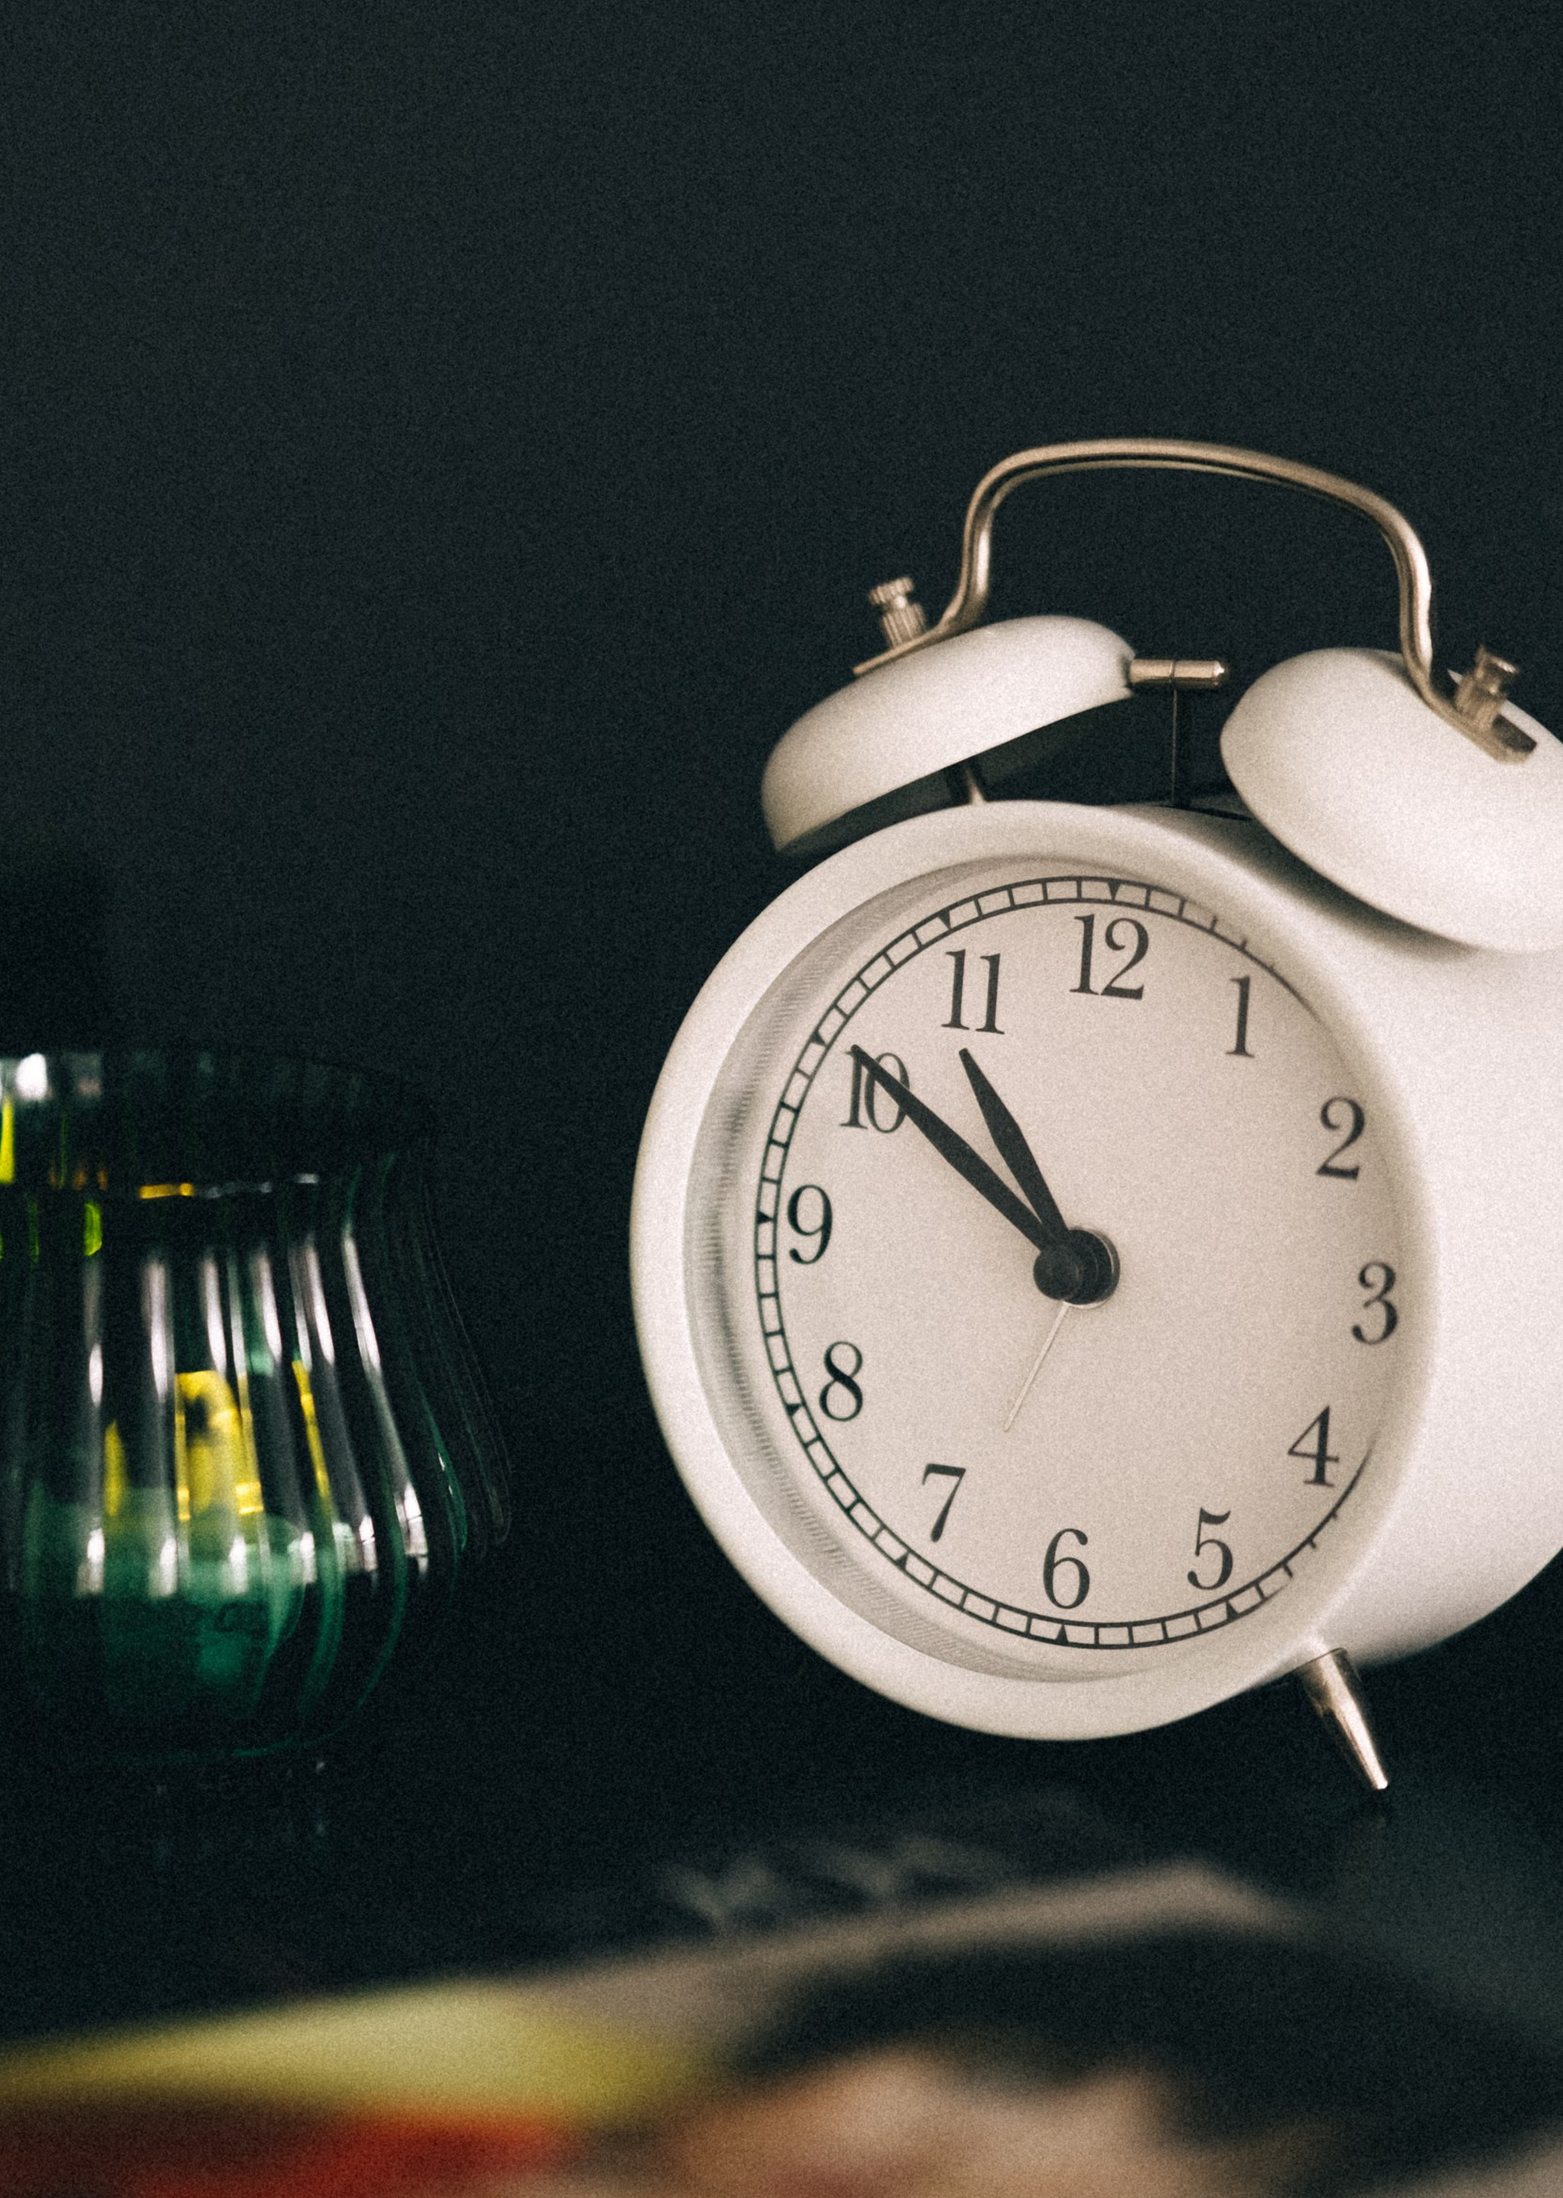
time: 10:51
